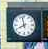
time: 7:57
